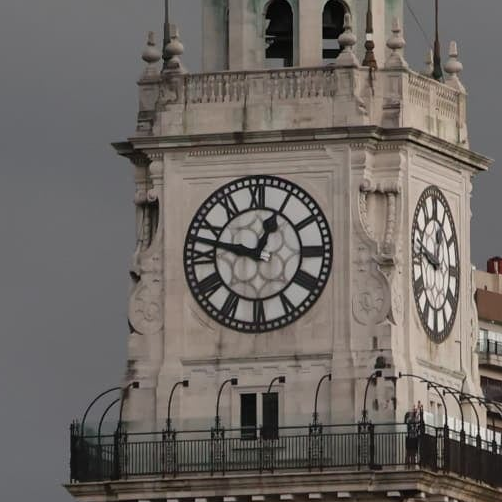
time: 12:47
